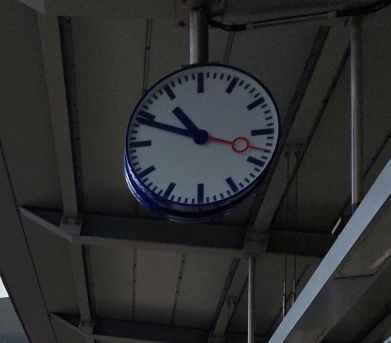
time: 10:48
